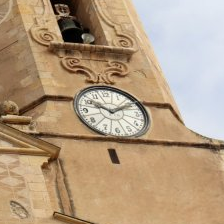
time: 10:10
